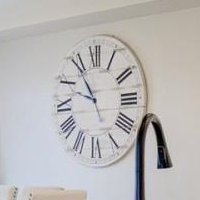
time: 9:54
